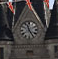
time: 11:24
